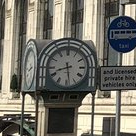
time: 8:28
